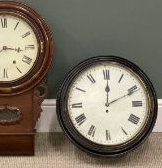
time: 12:10
